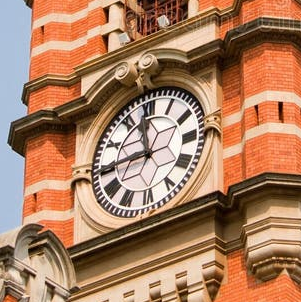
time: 11:44
